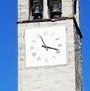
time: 11:18
